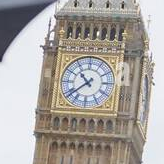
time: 10:38
